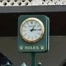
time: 1:14
